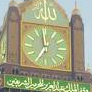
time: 6:58
